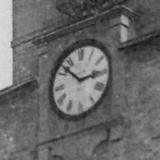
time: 2:52
